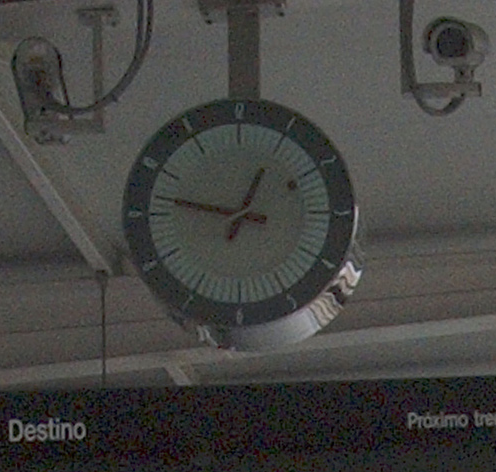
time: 12:47
